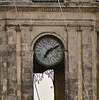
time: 7:09
